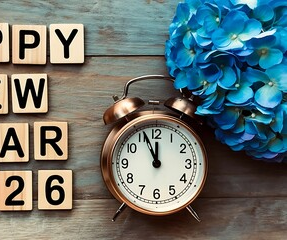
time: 11:56
